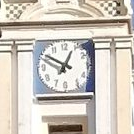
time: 12:50
